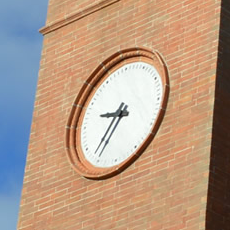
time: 9:36
